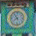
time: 7:54
